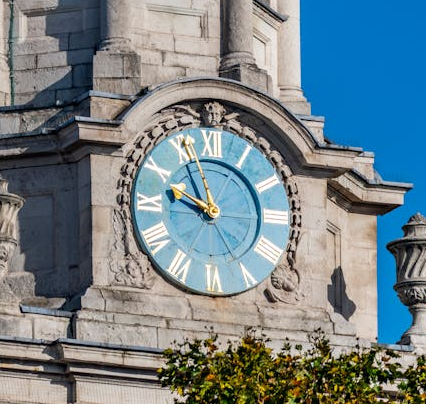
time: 9:56
